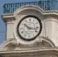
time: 10:16
